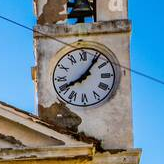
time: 8:06
